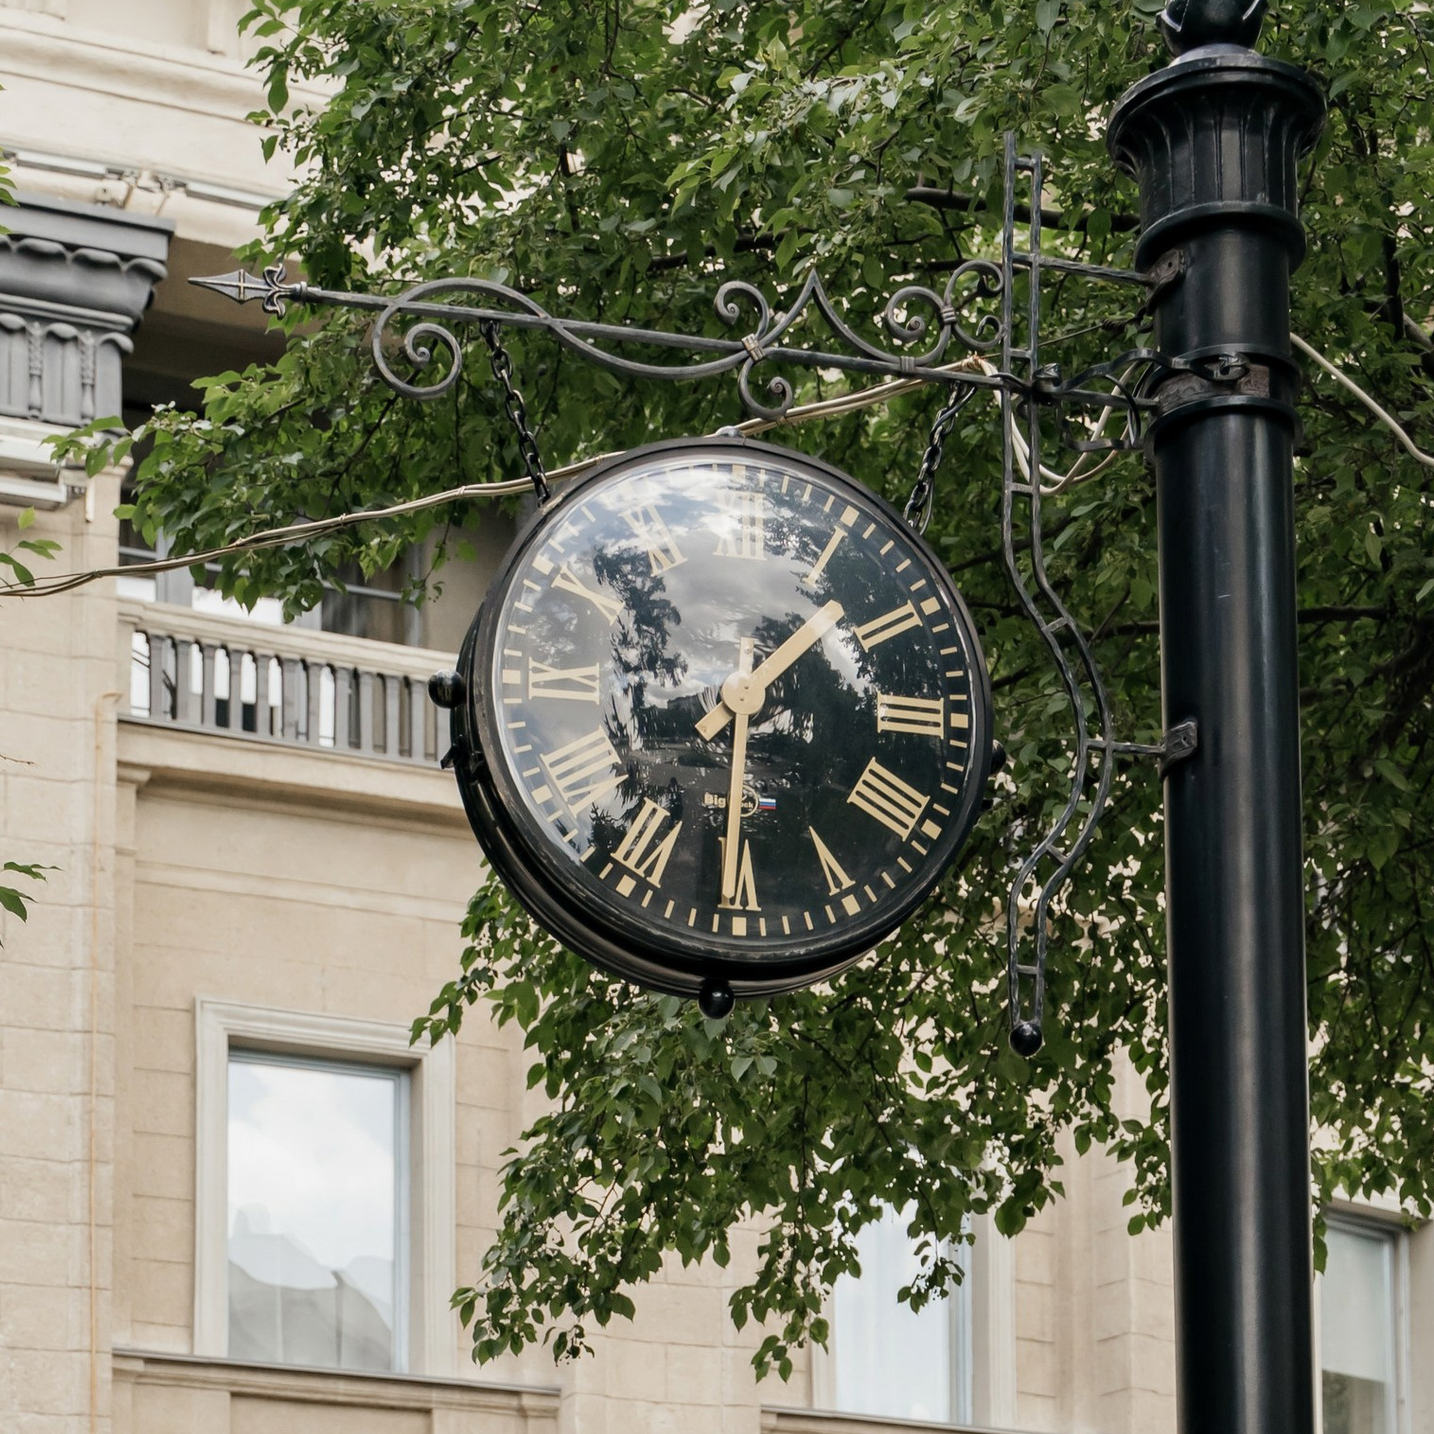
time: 1:30
